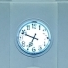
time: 6:48
